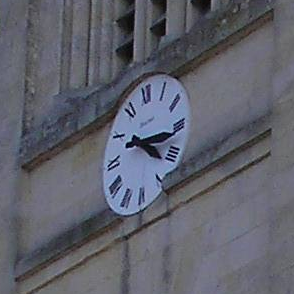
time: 4:16
